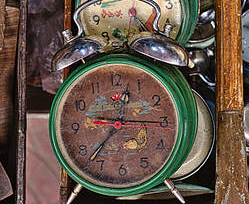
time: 12:37
